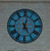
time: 5:01
